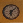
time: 6:07
